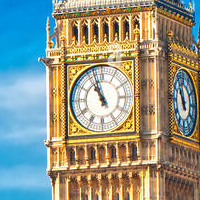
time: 10:56
